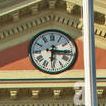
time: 6:15
